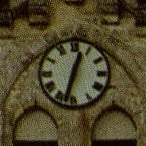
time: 12:32
